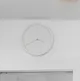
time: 3:40
